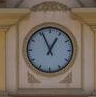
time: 12:55
